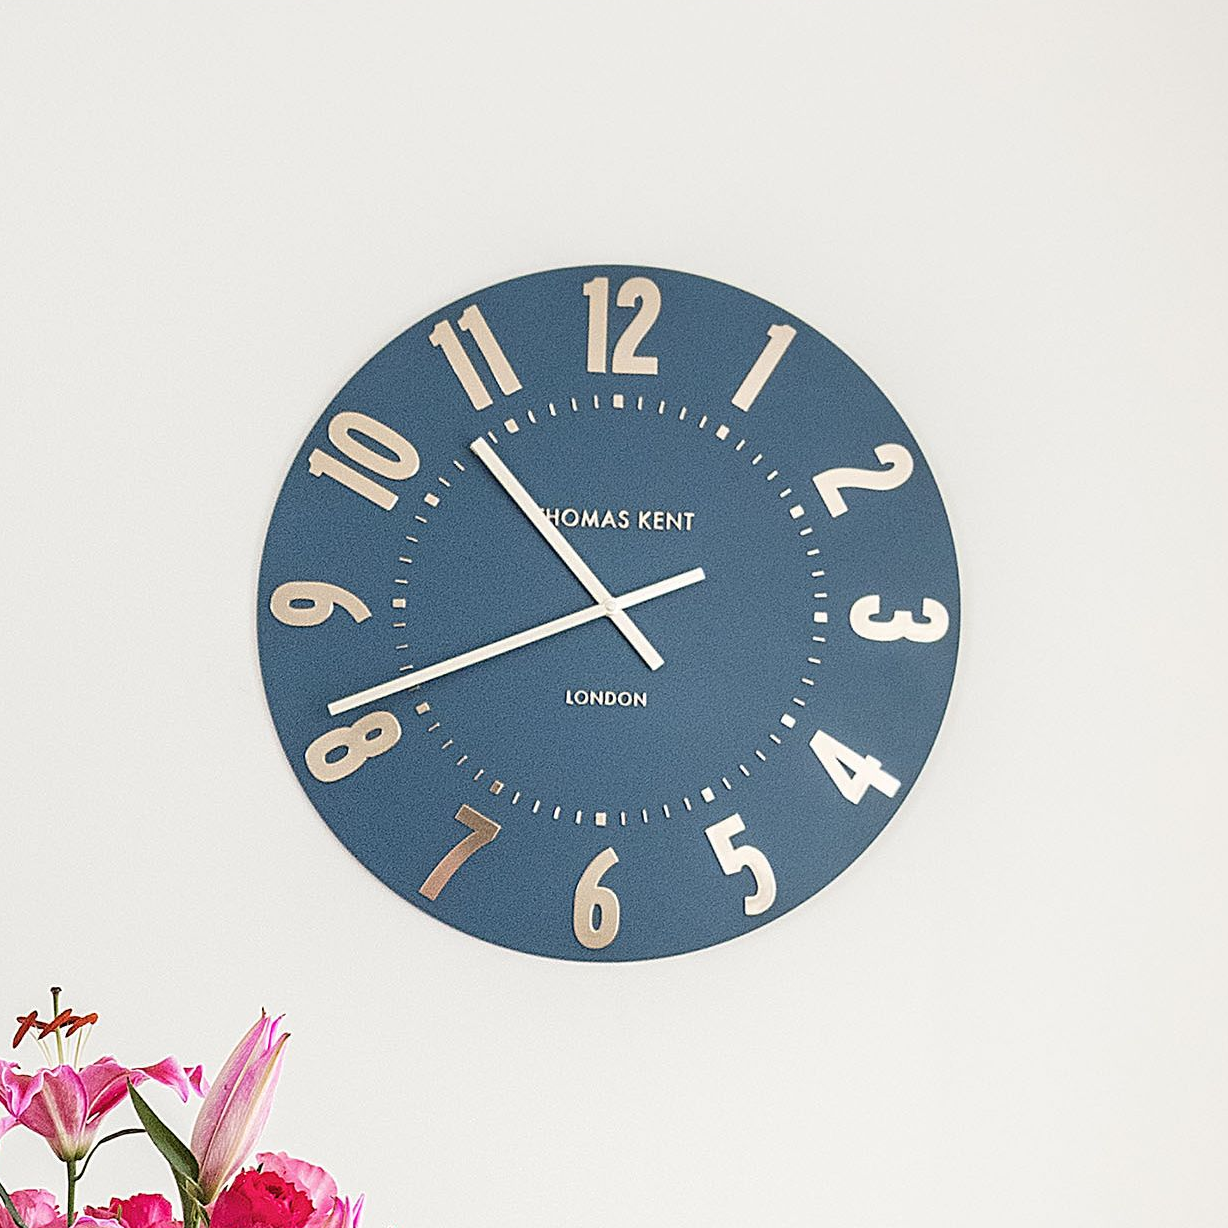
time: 10:41
